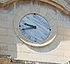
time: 9:42
